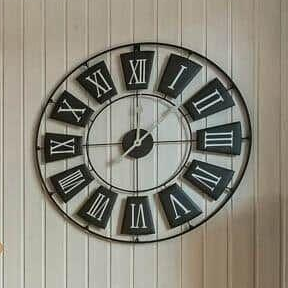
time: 8:00
